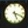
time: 5:18
